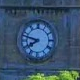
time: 7:47
